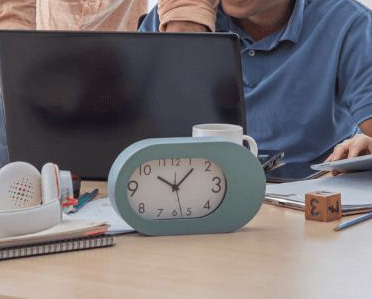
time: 11:07
